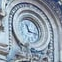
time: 11:17
